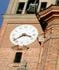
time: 3:39
